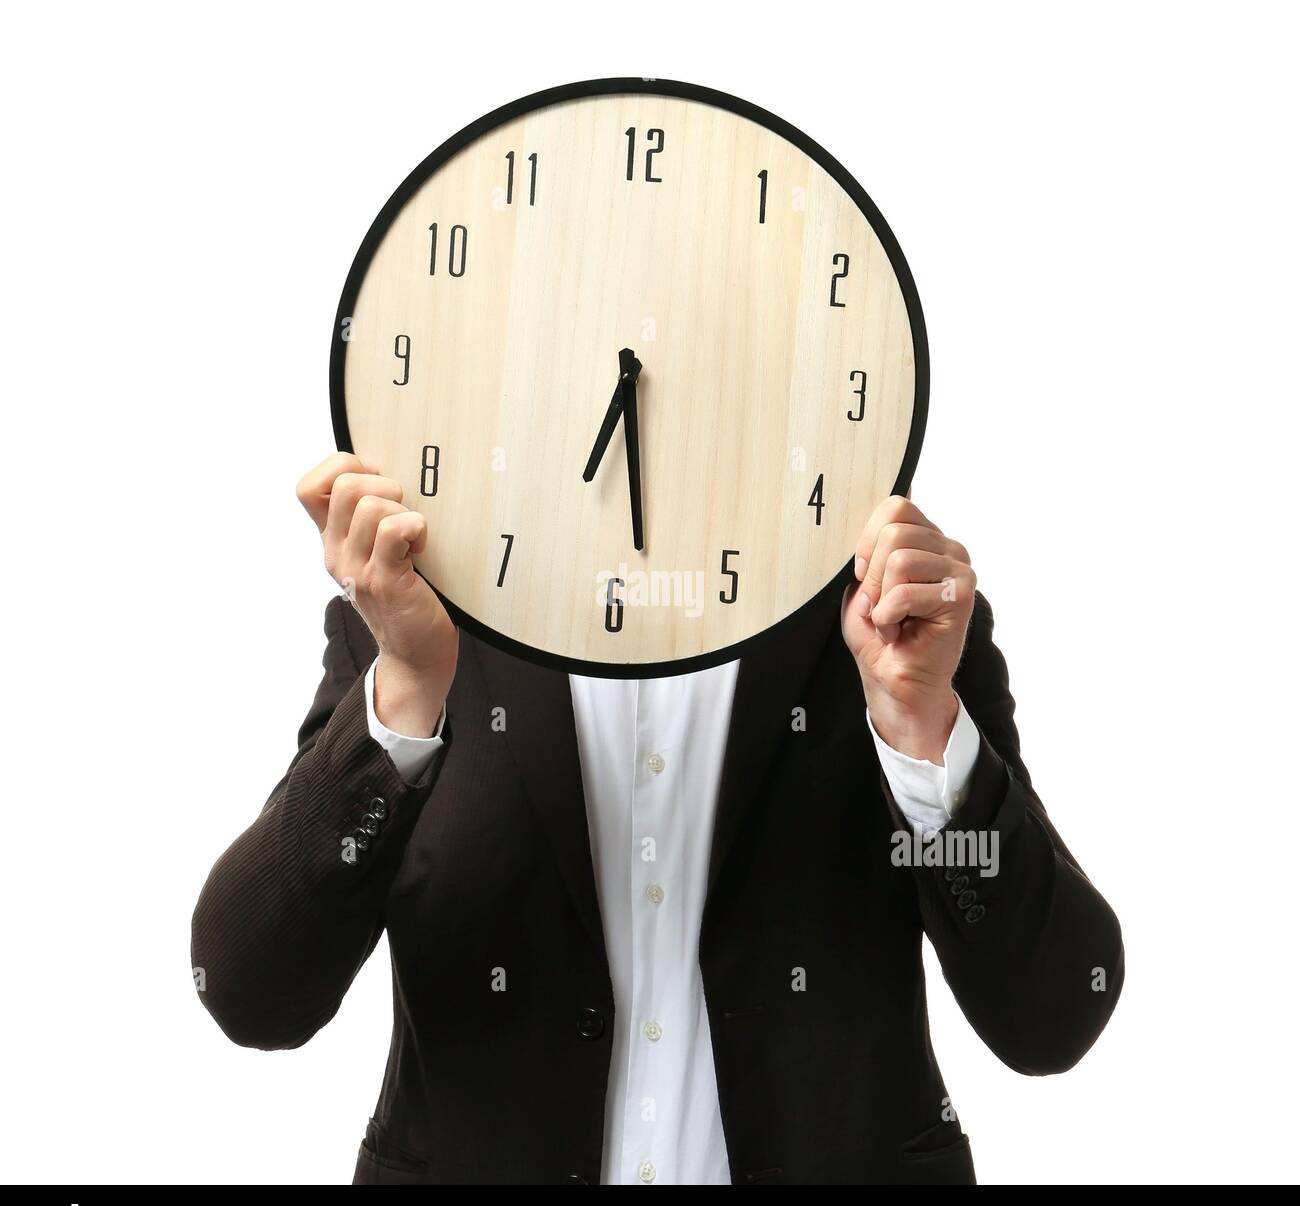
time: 6:28
